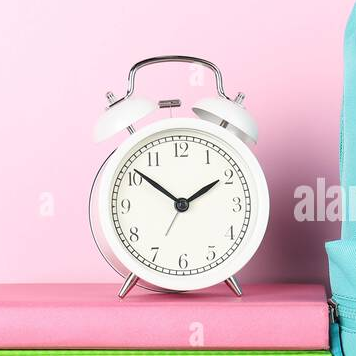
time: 1:51
